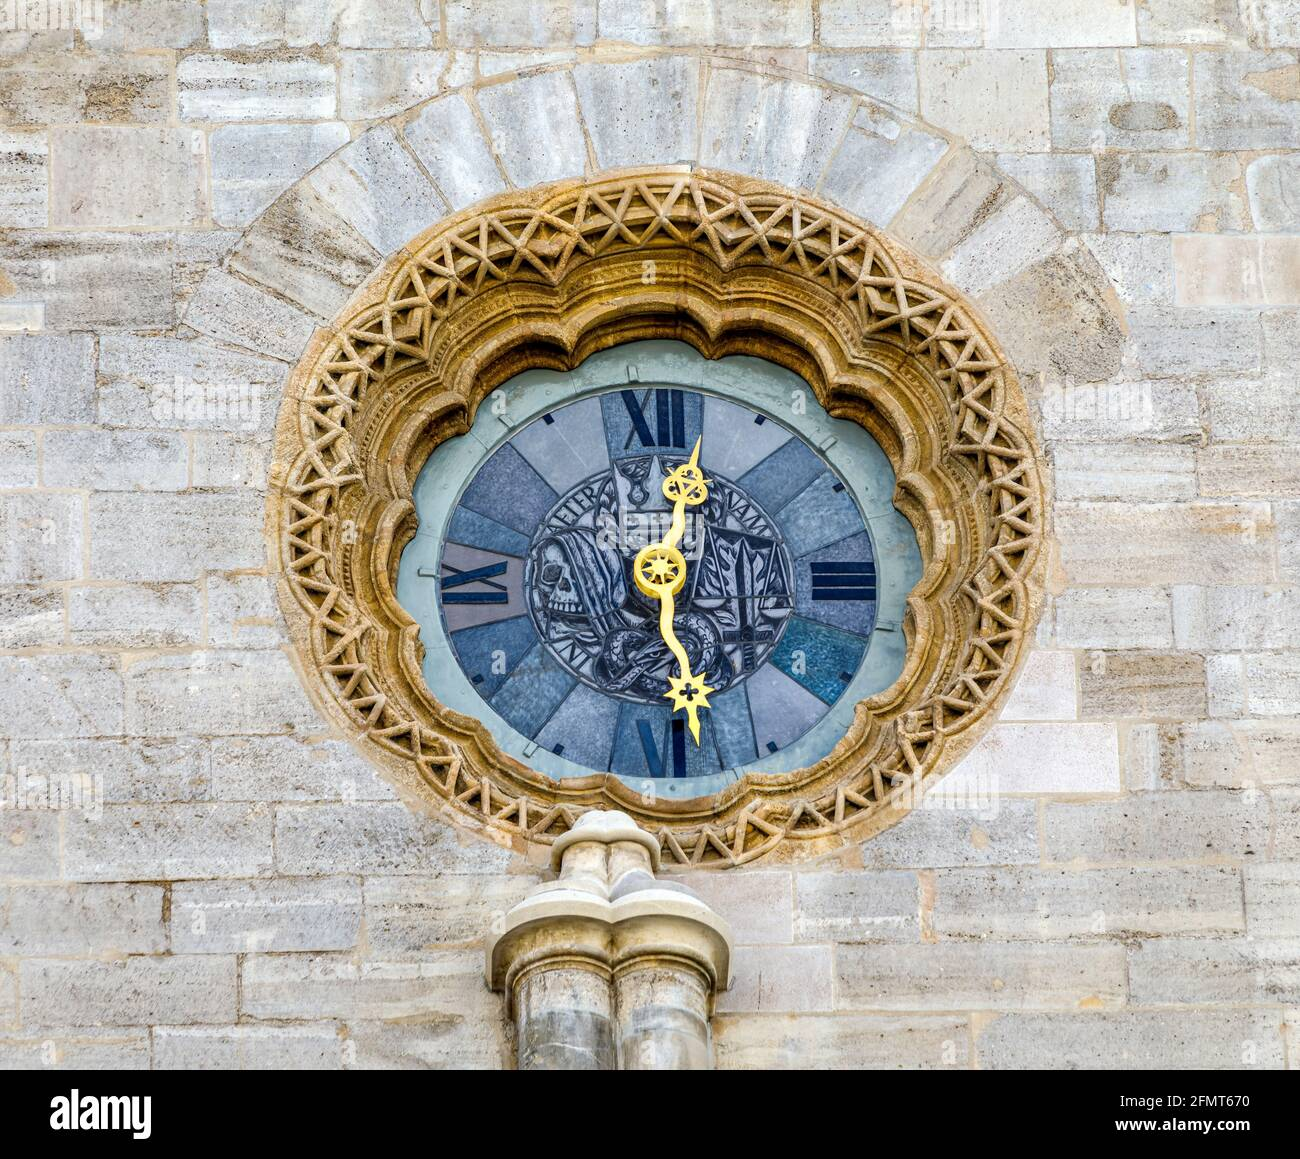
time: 12:27
